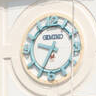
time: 9:34
